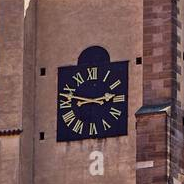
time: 2:47
